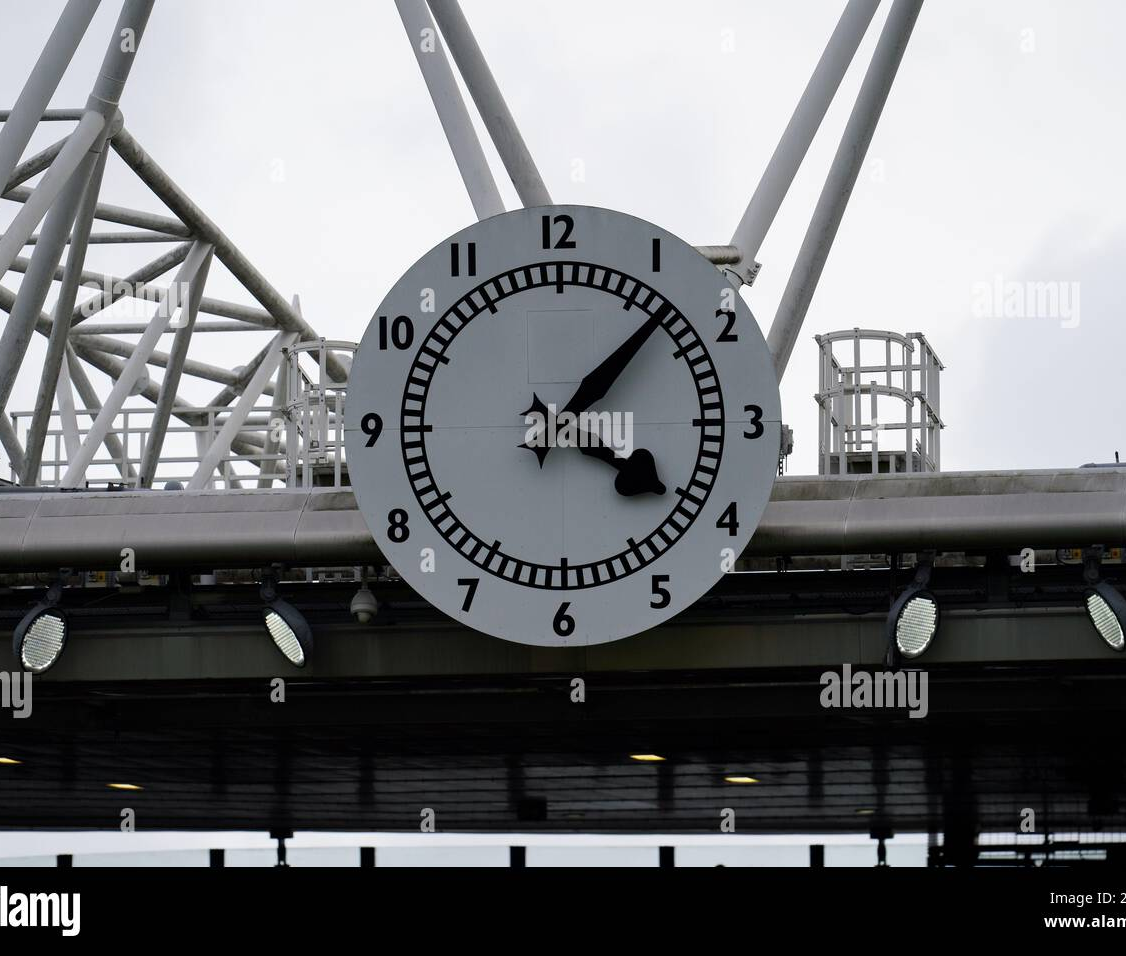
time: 4:07
